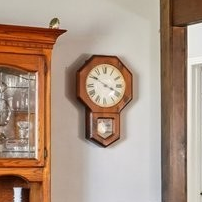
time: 3:50
